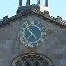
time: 7:24
